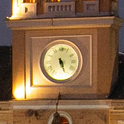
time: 5:26
